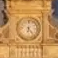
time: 6:23
